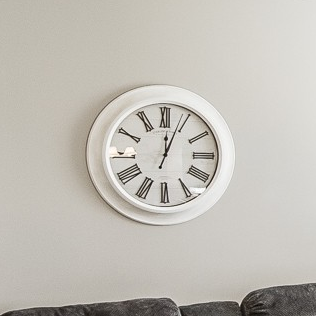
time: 12:03
